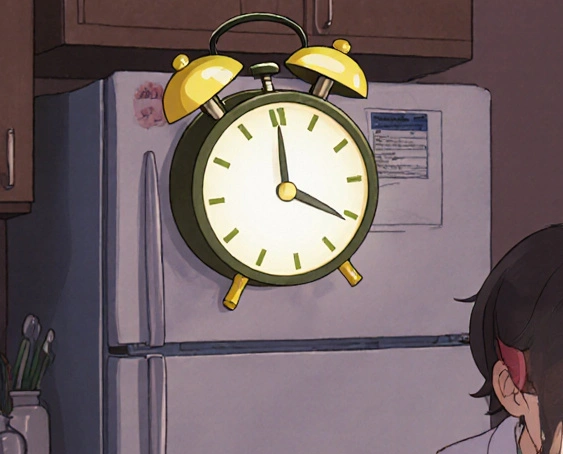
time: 4:00
